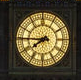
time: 7:45
